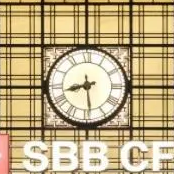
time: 8:29
